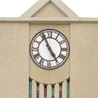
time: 4:55
